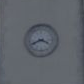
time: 3:41
